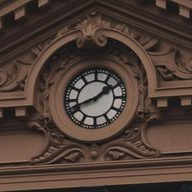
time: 1:41
